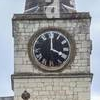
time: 4:00
